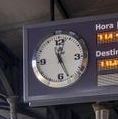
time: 12:26
